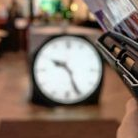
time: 9:26
